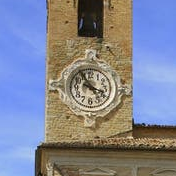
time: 3:54
